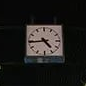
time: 4:44
